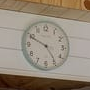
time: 4:49
